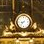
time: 8:37
